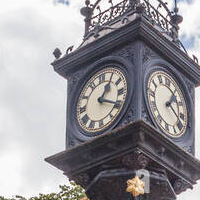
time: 1:20
